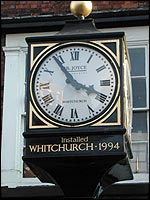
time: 3:53
